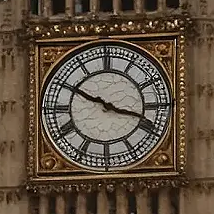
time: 3:49
